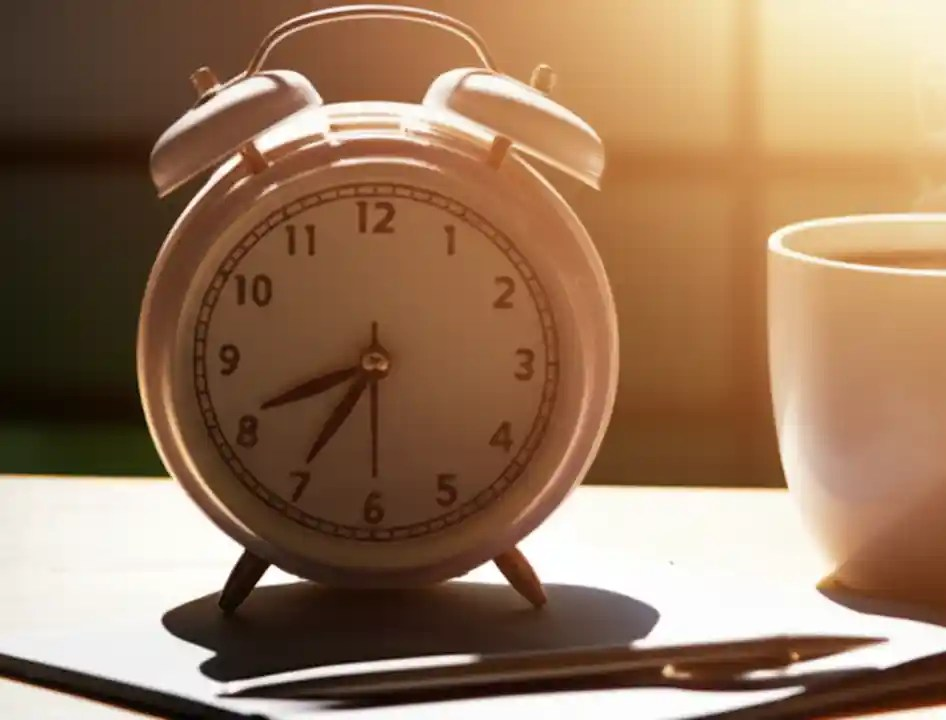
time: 8:35
